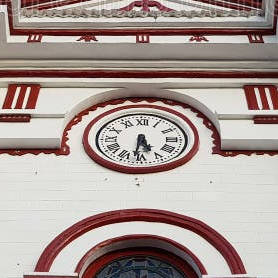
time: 5:31
